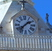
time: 1:37
